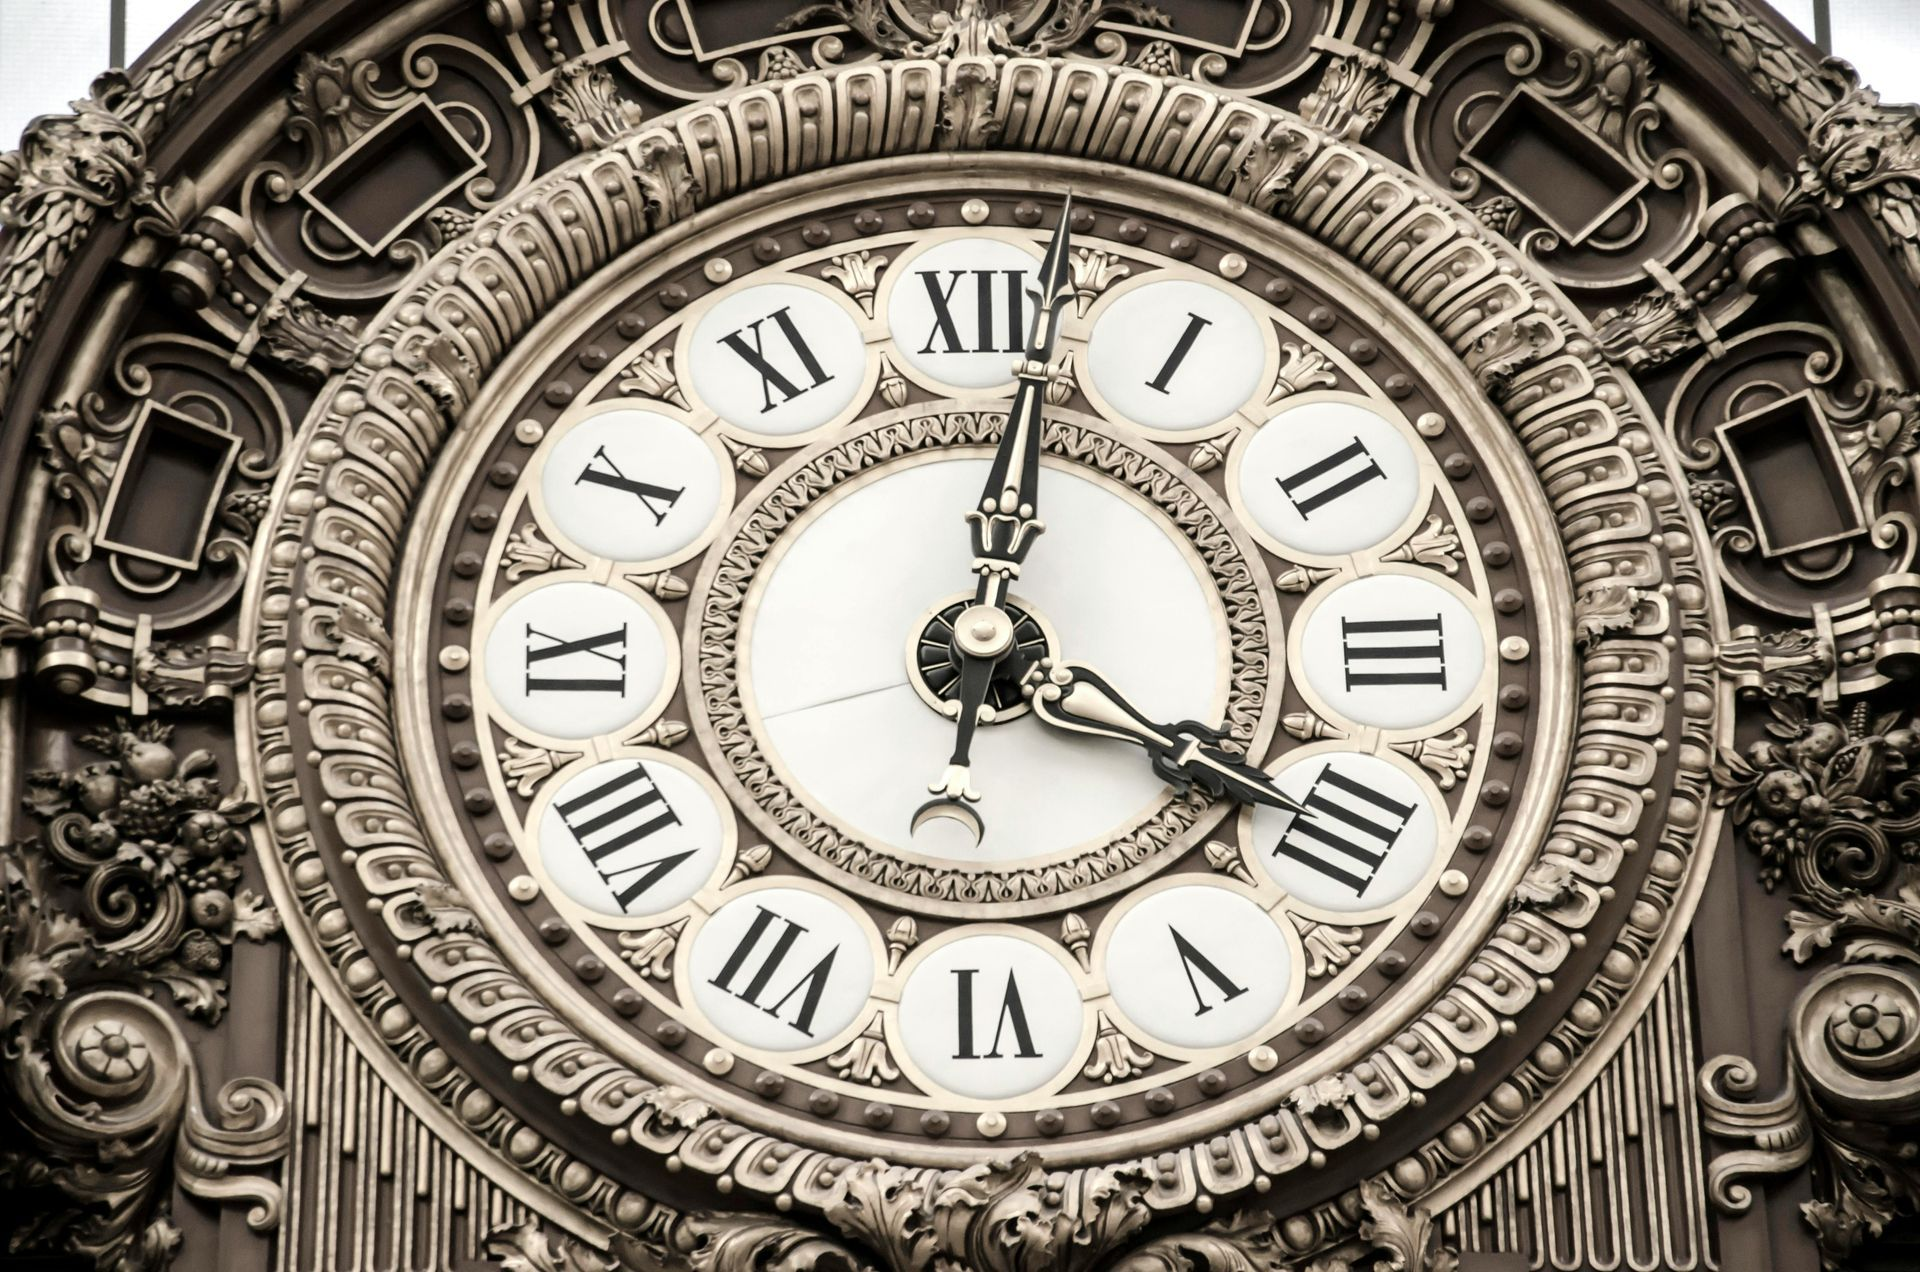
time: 12:18
